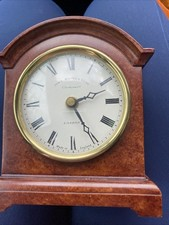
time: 2:25
